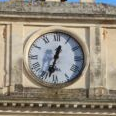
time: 12:32
